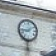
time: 1:43
